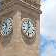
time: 11:35
